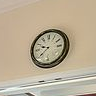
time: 9:38
